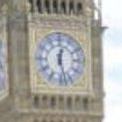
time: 12:27
